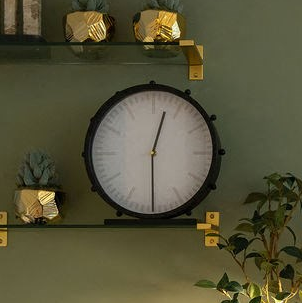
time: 12:29
